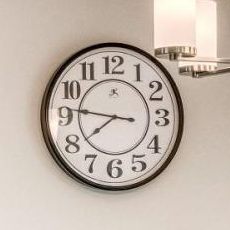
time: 7:46
